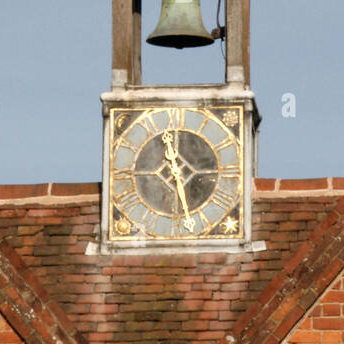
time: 11:28
